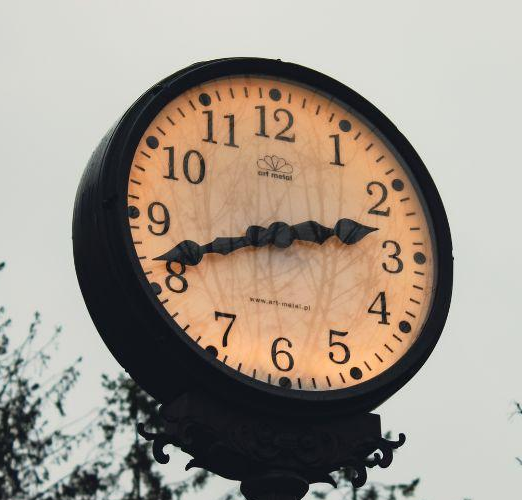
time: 2:41
